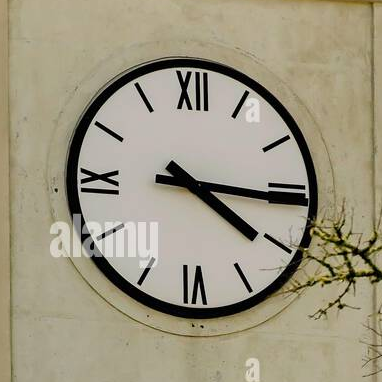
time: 4:15
